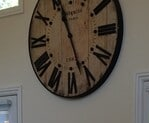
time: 11:26
